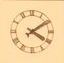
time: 4:09
